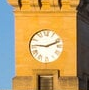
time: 9:11
